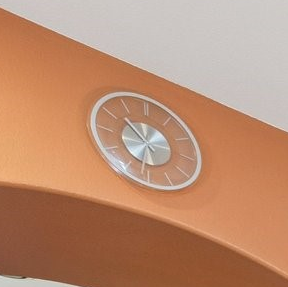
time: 11:52
